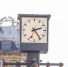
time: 2:23
